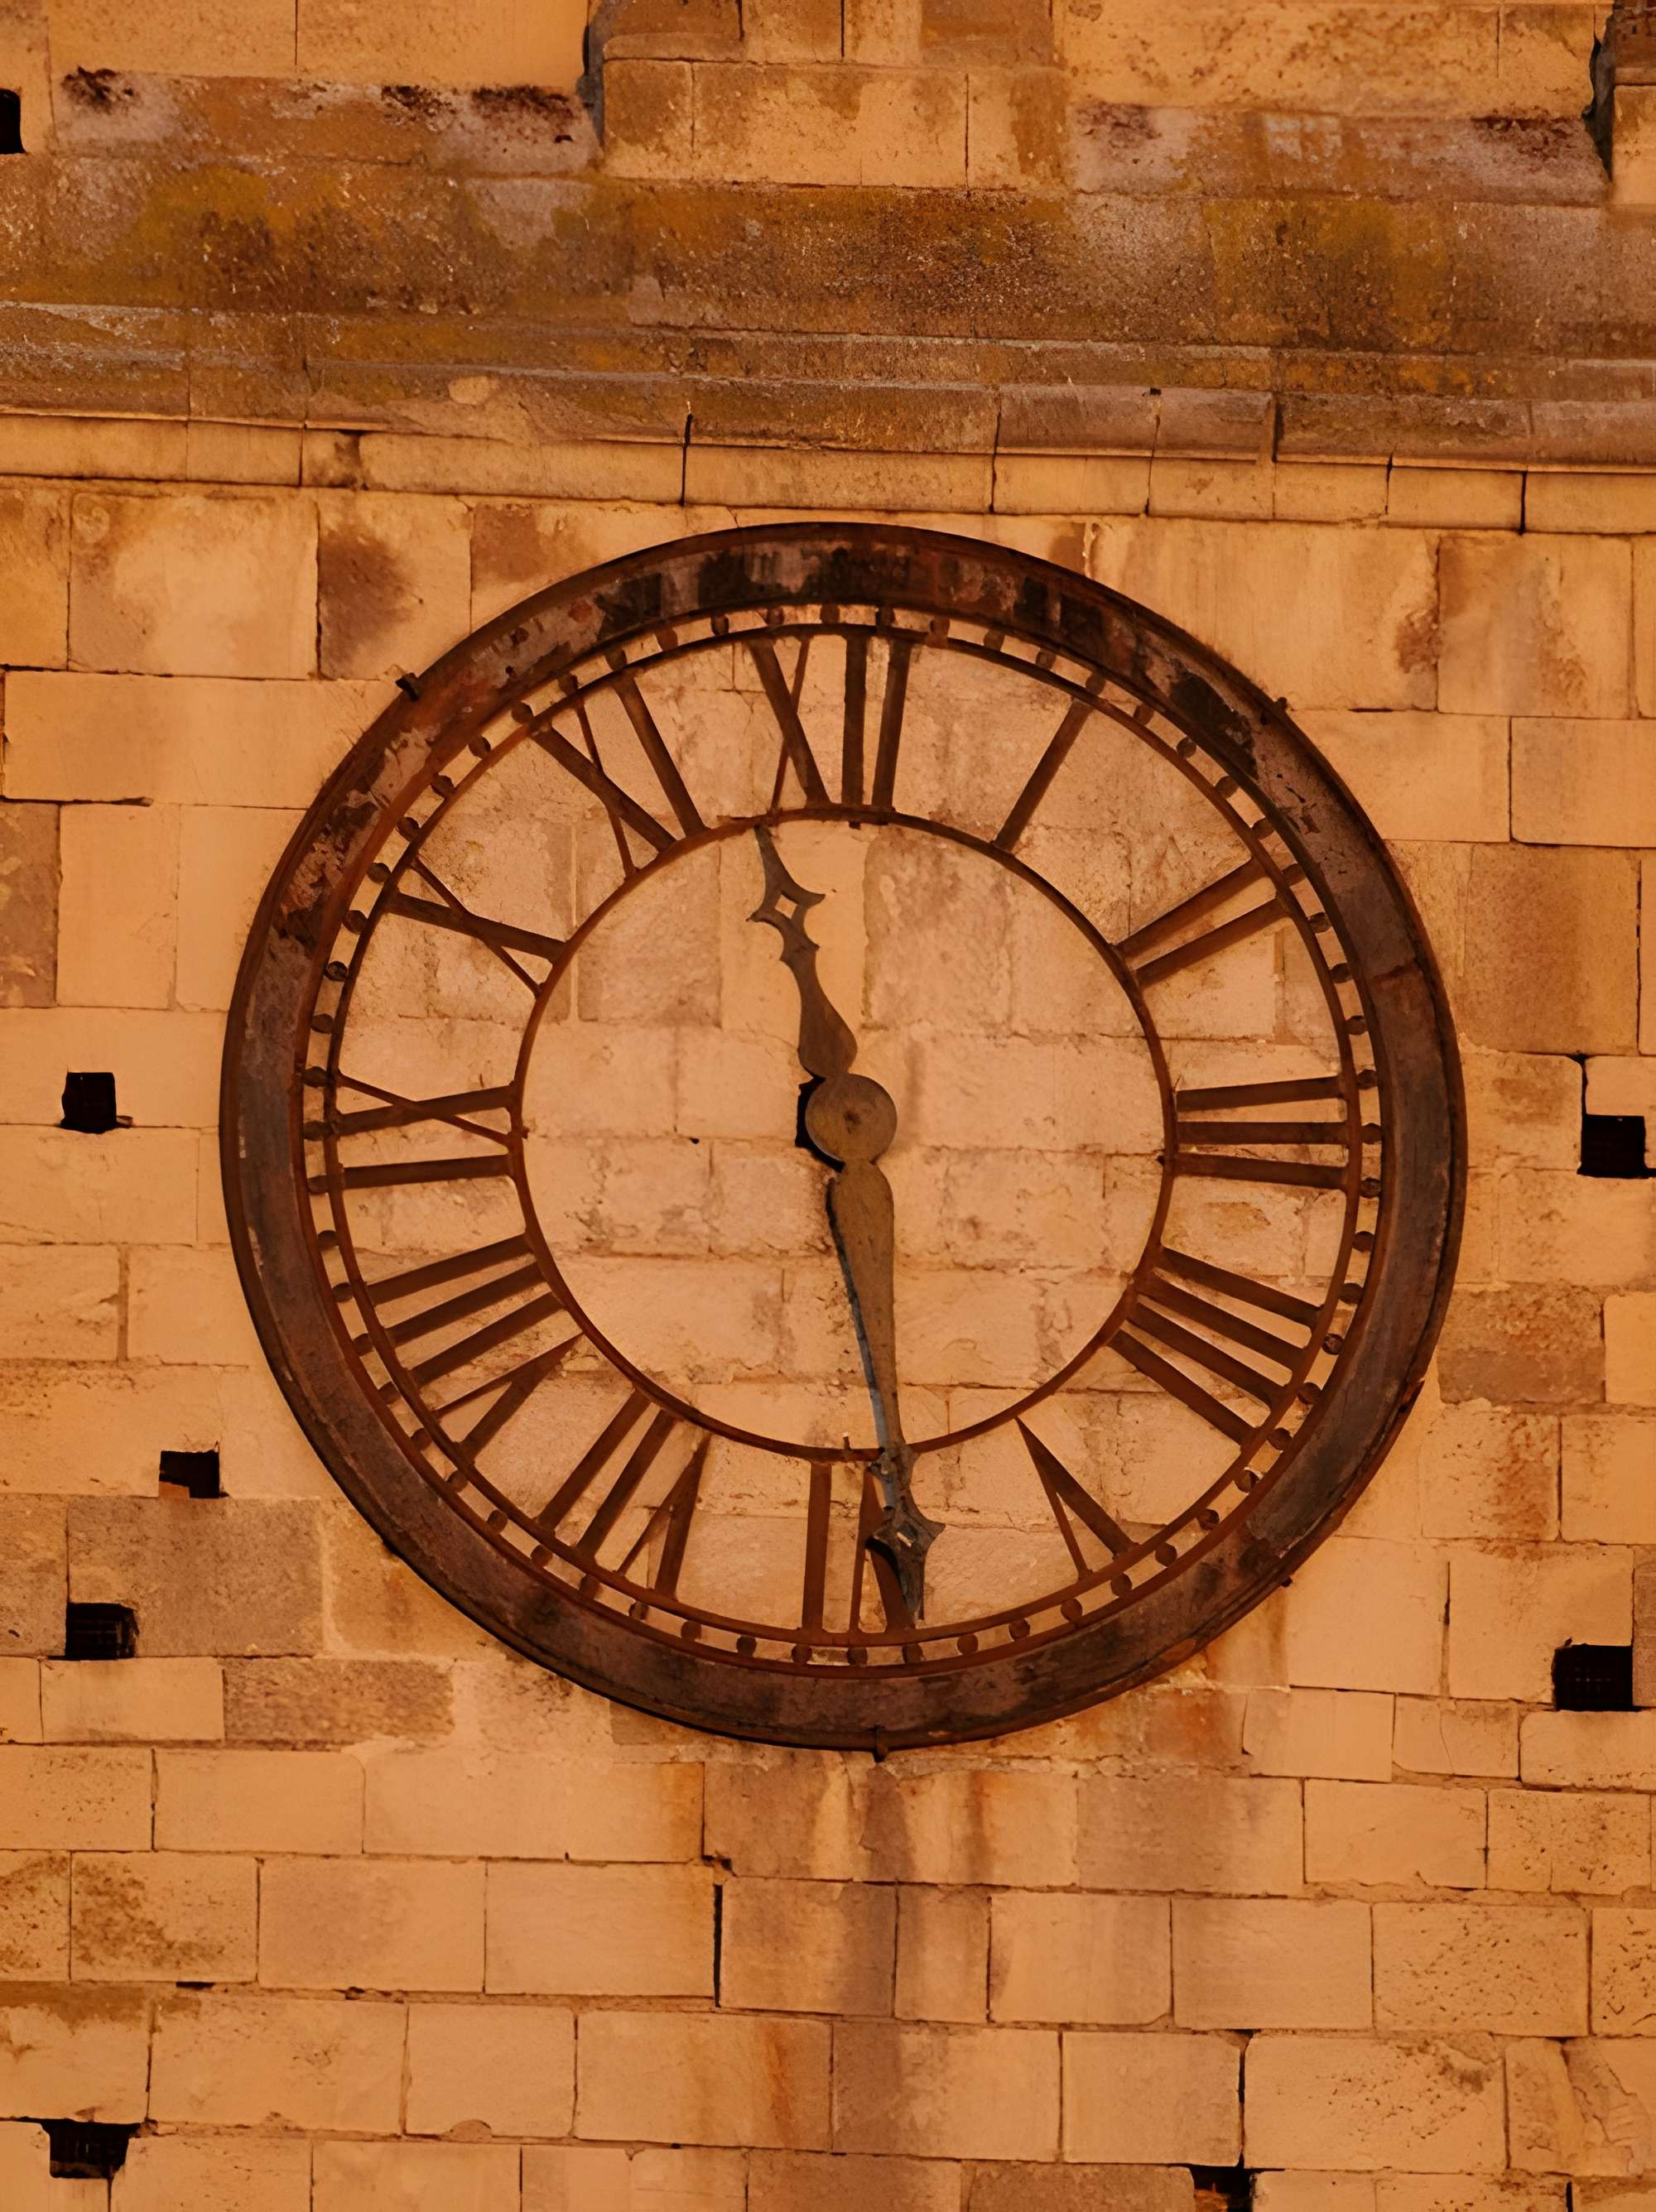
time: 11:28
